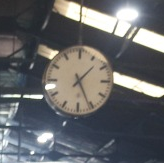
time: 1:25
